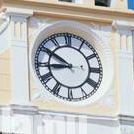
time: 8:50
